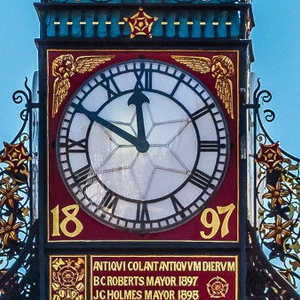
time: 11:49
